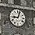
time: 9:03
